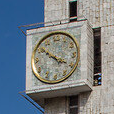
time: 3:51
